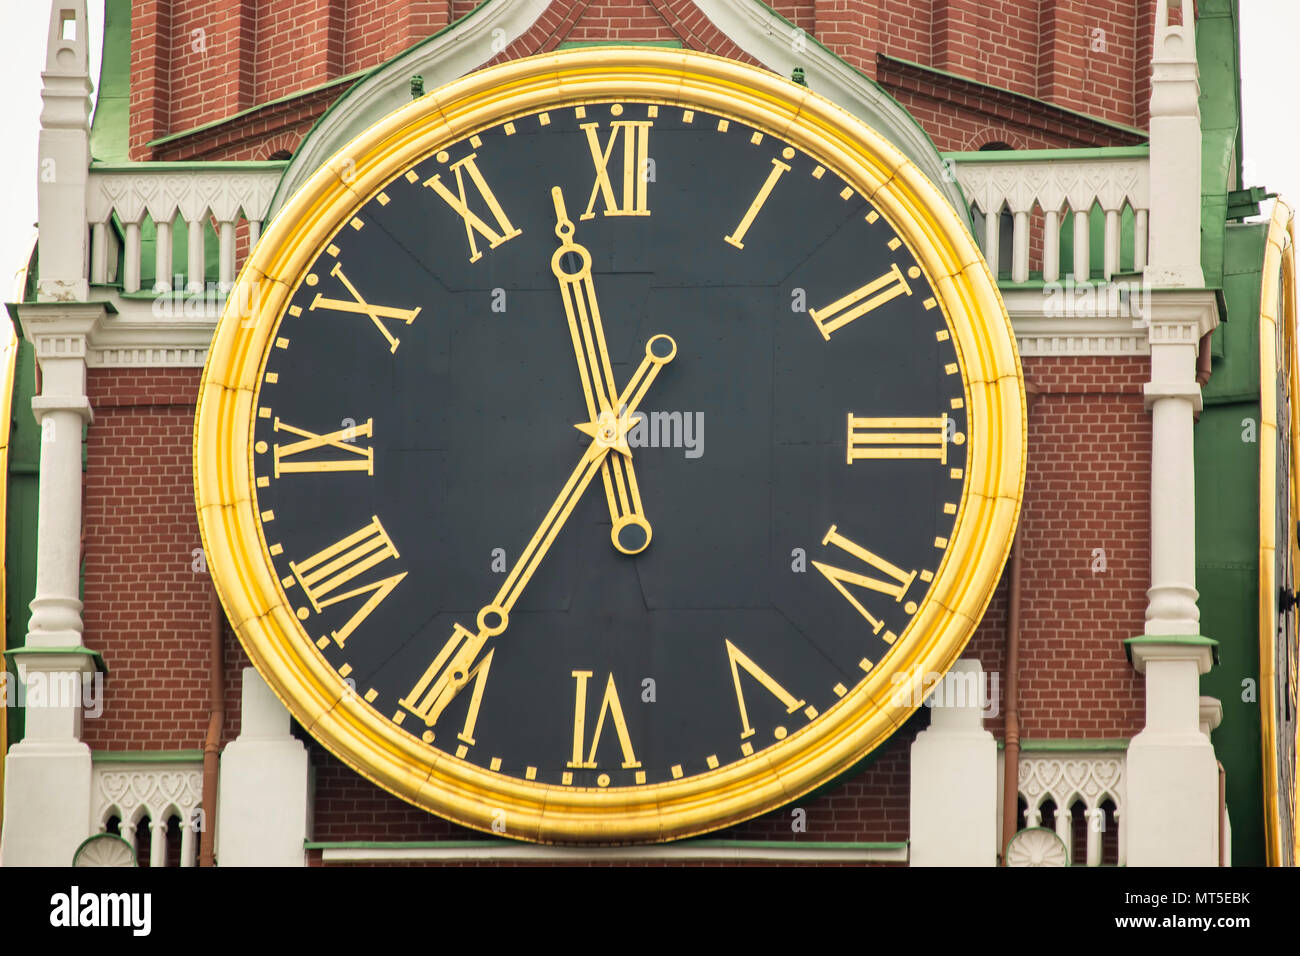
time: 11:35
